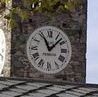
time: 11:07
